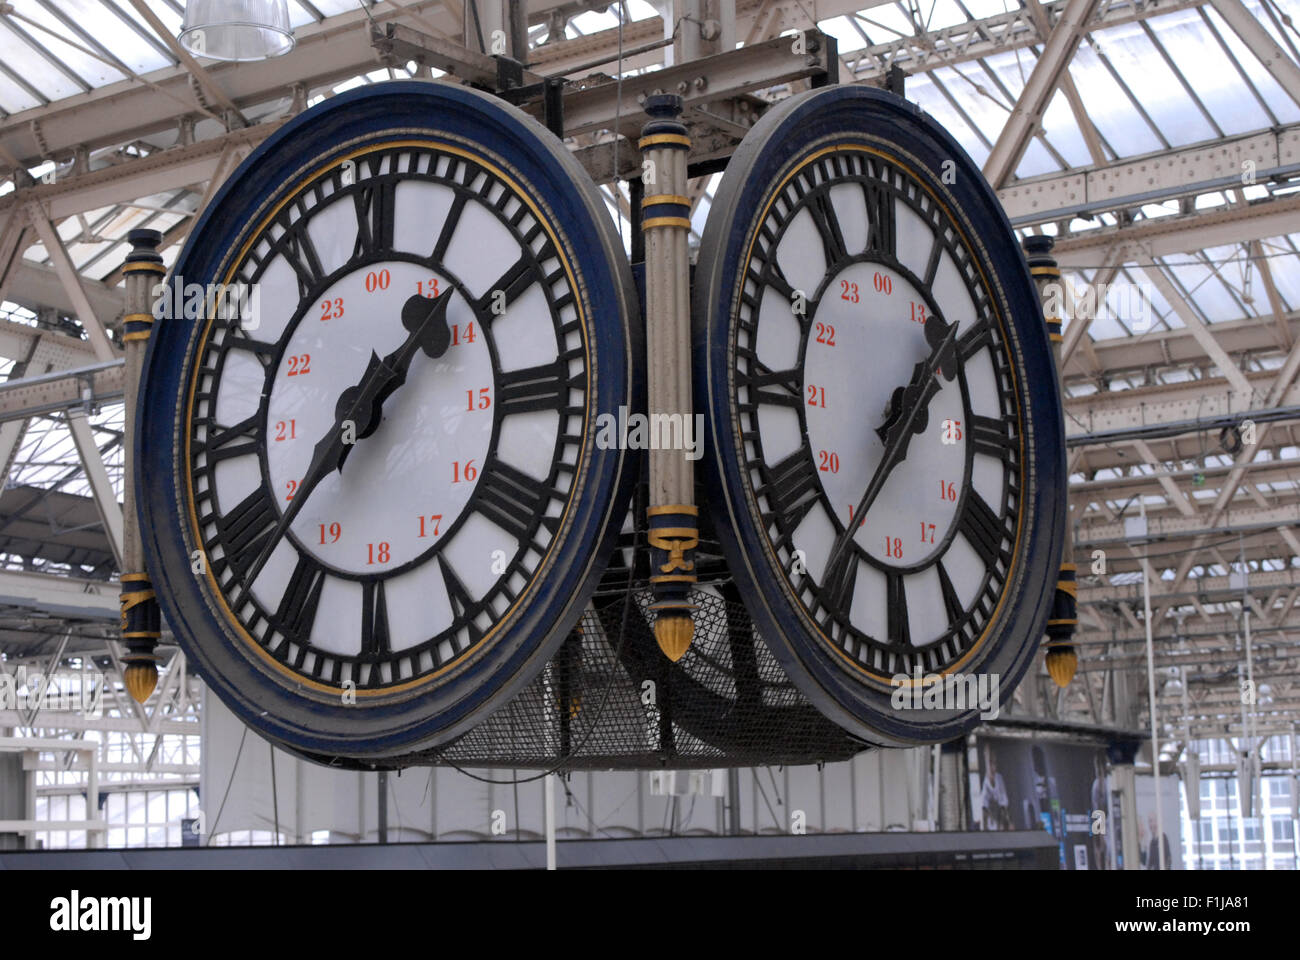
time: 1:37
